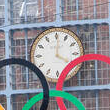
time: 4:01
